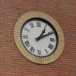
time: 1:10
